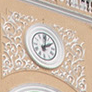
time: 2:01
